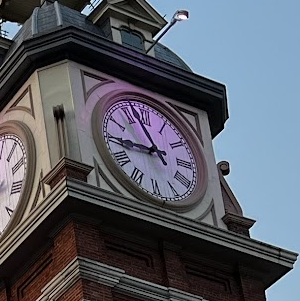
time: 8:56
